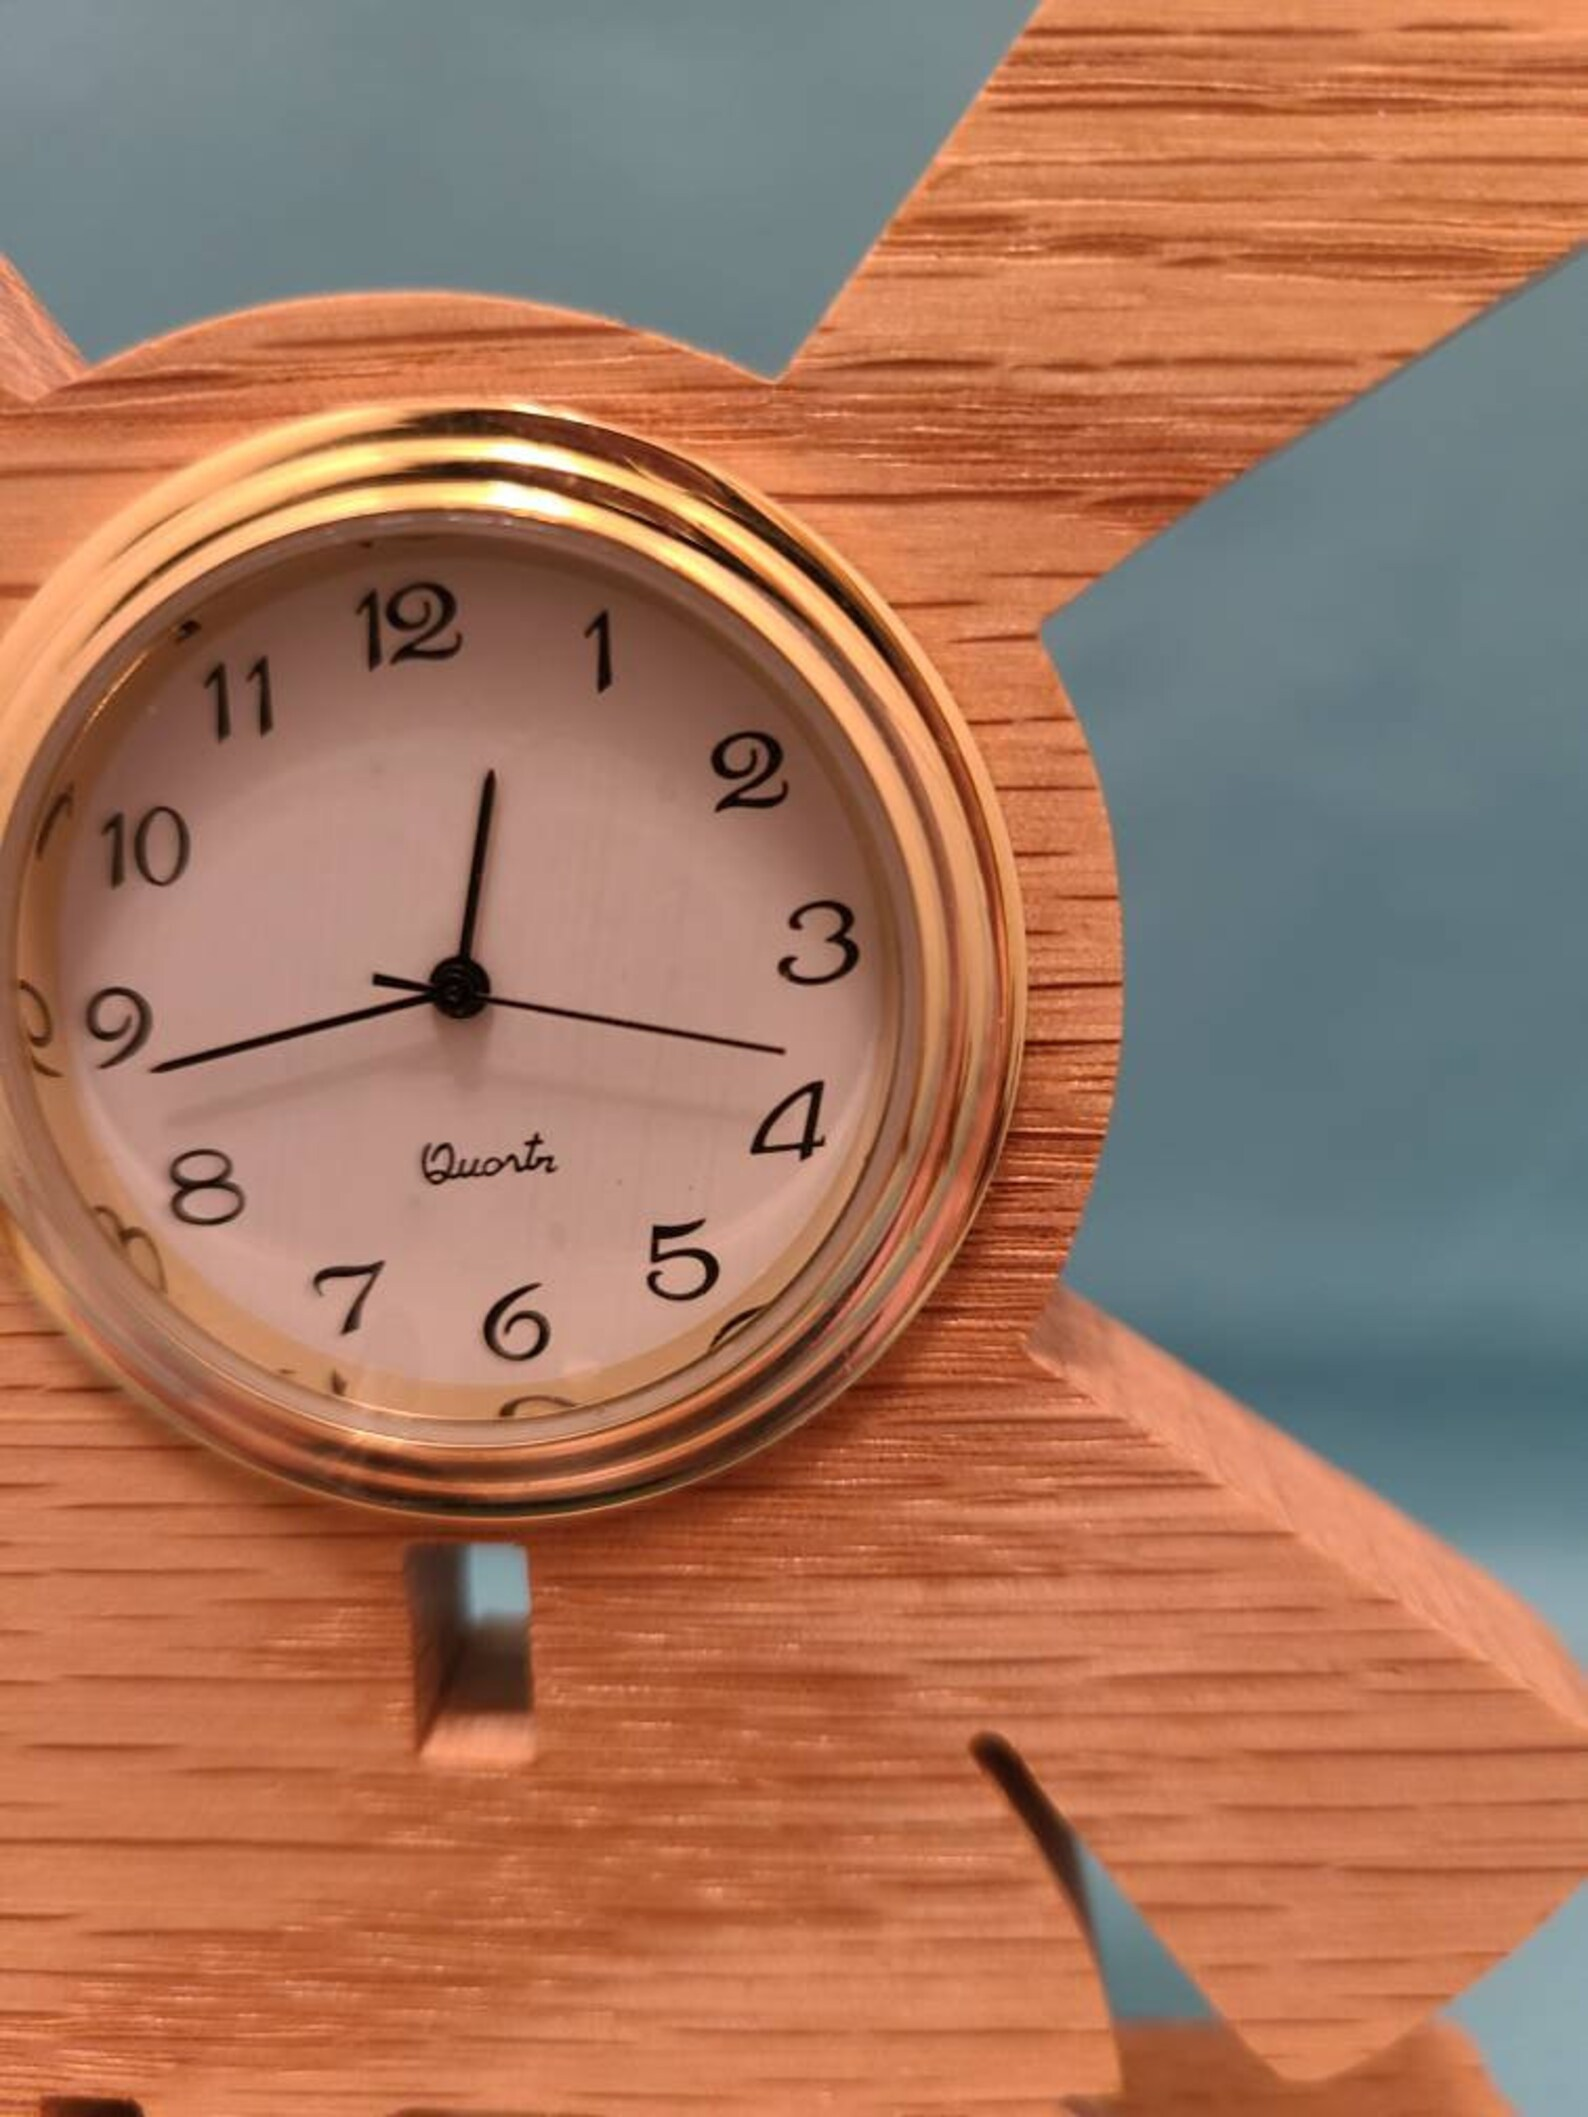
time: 12:43
